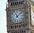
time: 11:07
